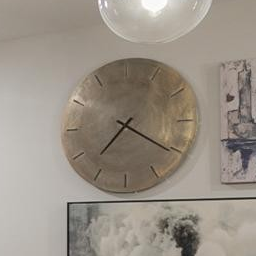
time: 7:20
